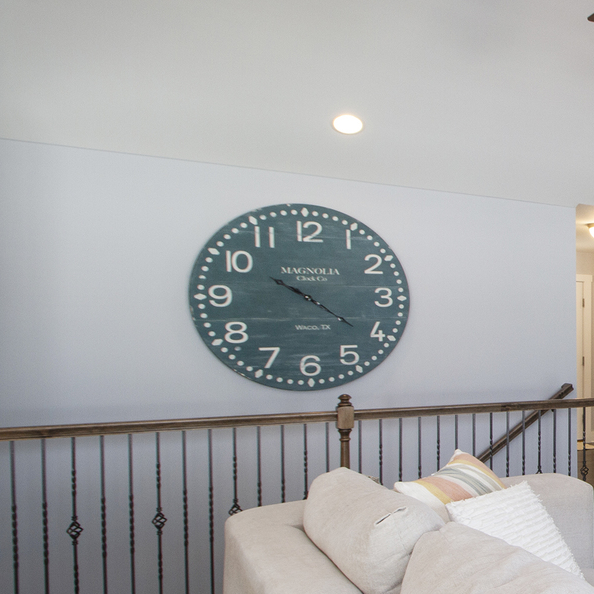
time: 10:20
